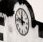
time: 11:46
